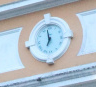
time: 6:58
